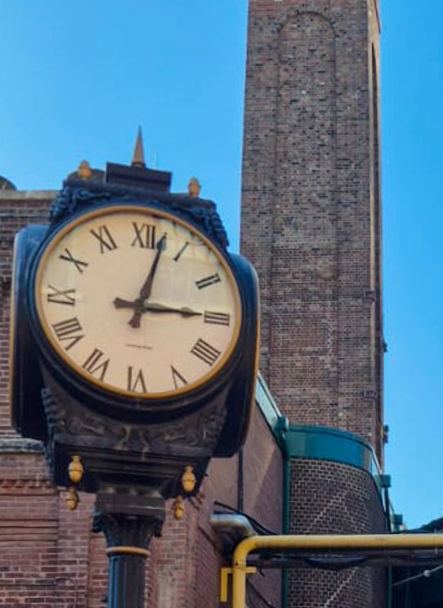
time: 3:02
